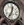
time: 12:34
